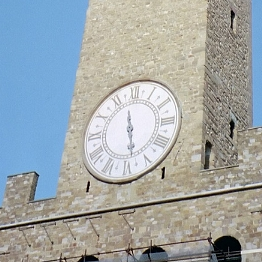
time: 11:28
